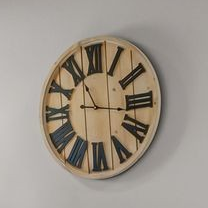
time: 11:16
